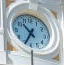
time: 10:34
